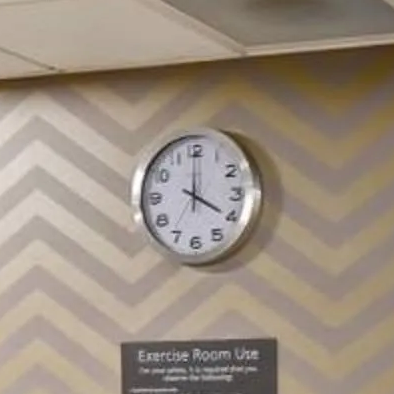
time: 4:00
